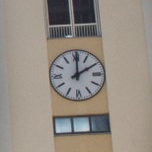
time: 2:00
